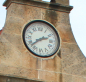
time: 2:38
